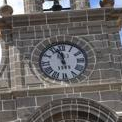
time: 11:56
